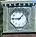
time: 9:07
